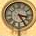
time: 3:24
